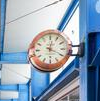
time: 12:19
